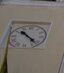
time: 10:22
